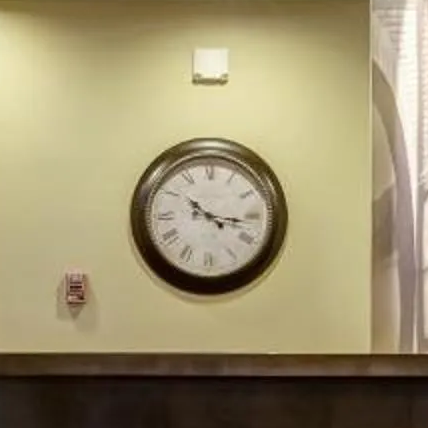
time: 10:16
